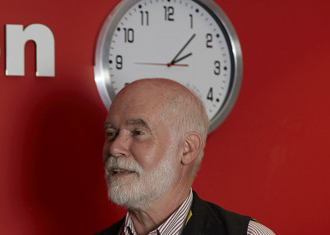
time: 2:07
